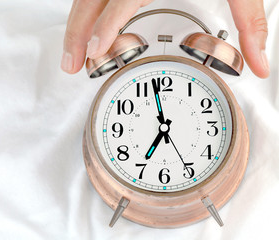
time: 6:58
